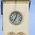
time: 7:02
